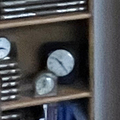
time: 10:24
